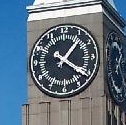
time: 1:21
